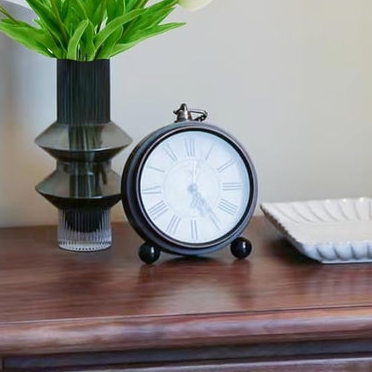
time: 12:24
